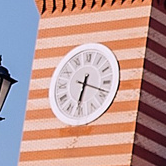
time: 6:18
